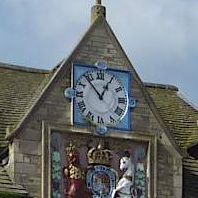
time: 12:53
